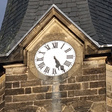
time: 5:24
